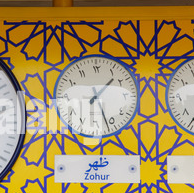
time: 1:26
